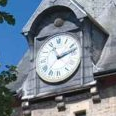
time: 11:12
